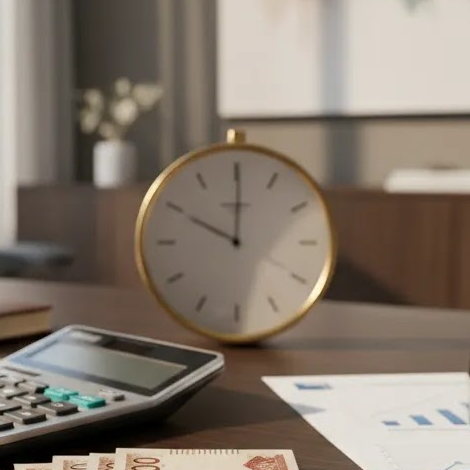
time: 10:00
